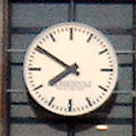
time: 7:50
